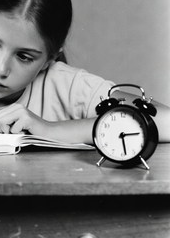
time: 2:28
